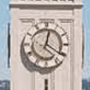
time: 12:20
